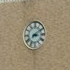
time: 3:09
